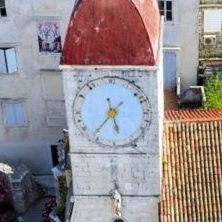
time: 5:36
